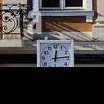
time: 12:14
